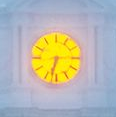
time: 6:32
